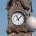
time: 11:07
